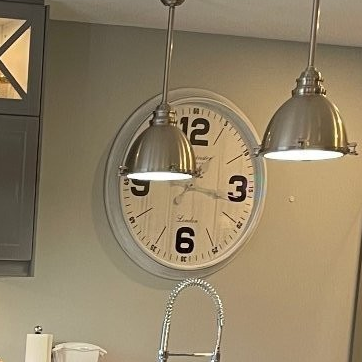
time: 11:45
